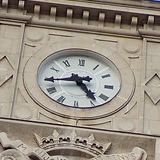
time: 4:44
